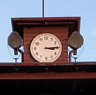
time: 3:14
